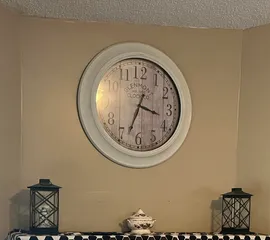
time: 3:33
